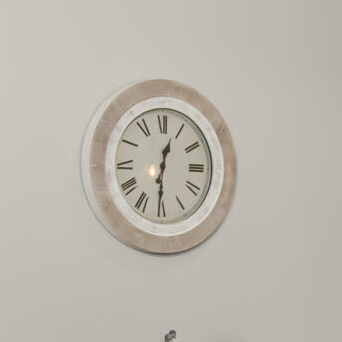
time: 12:30
